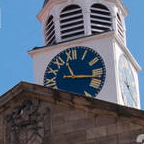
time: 11:16
